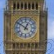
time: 12:51
